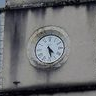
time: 4:27
